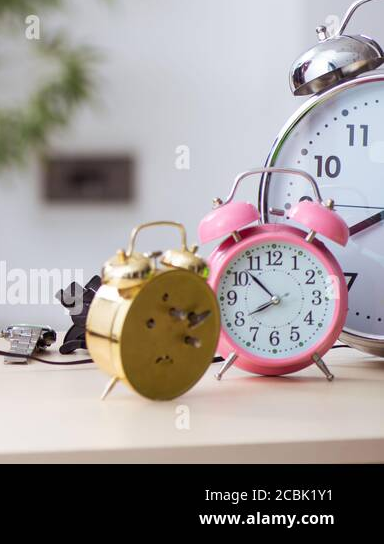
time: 7:52
